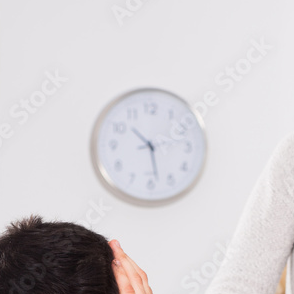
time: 10:28
